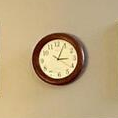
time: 3:04
